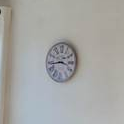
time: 3:43
